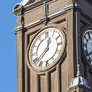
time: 12:38
